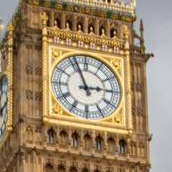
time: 2:56
